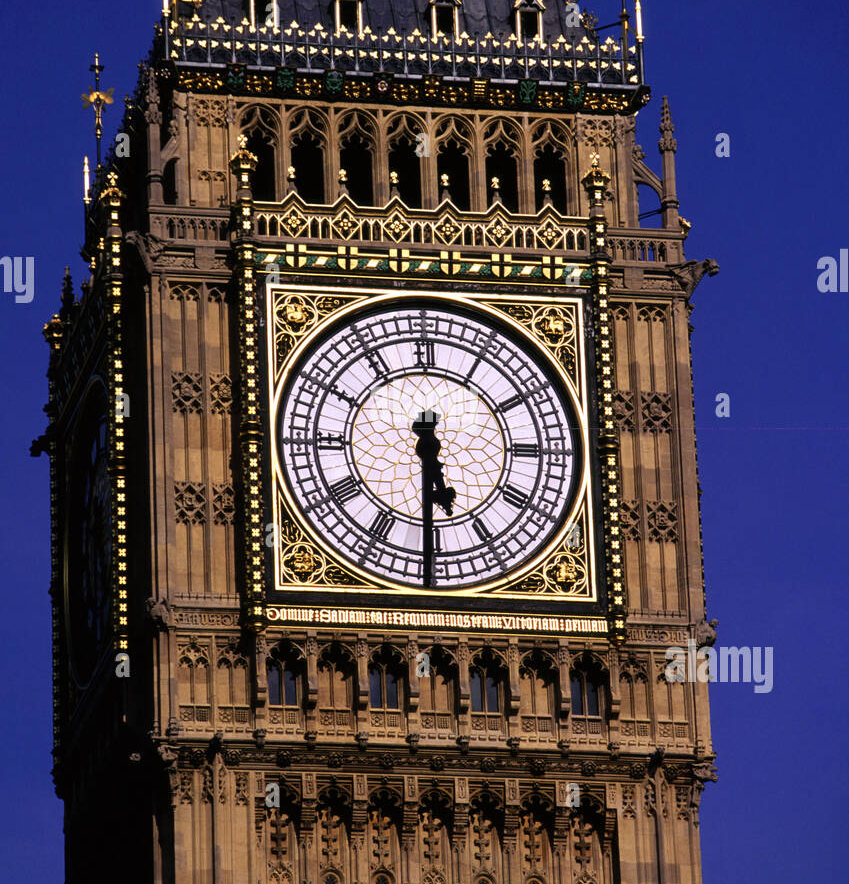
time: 5:30
